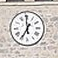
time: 6:59
